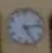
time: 5:13
